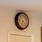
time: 7:12
